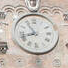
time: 10:42
